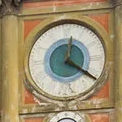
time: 12:20
